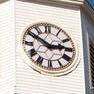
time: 2:50
